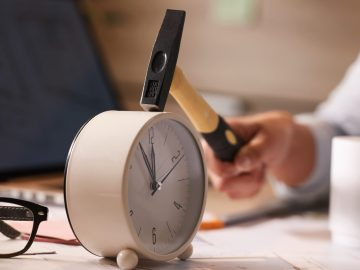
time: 11:55
